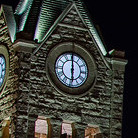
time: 5:59
